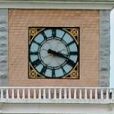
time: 3:18
